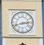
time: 2:41
